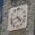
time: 4:42
